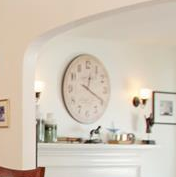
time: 12:19
